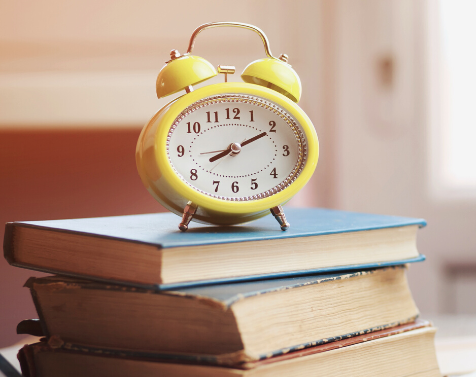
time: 8:10
